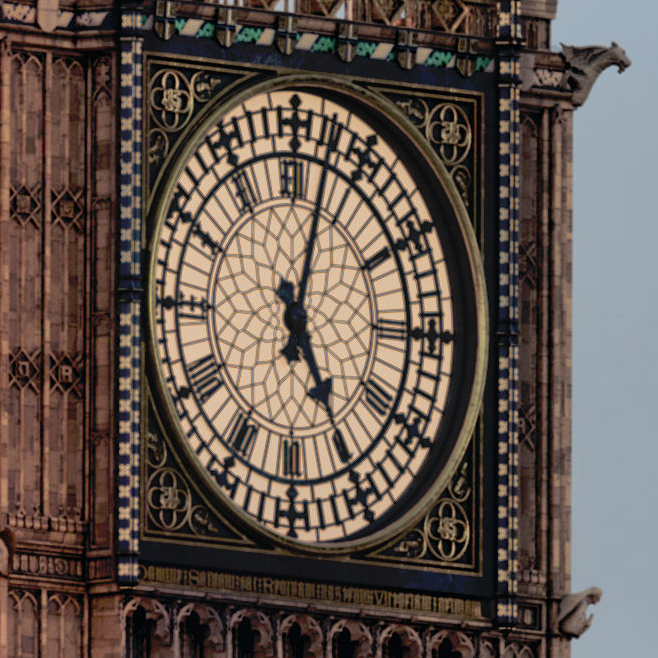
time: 5:02
